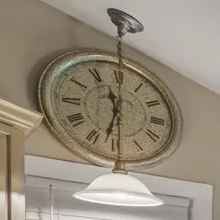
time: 11:32
